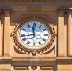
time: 11:43
